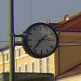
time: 1:36
